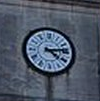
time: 4:13
